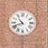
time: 10:41
